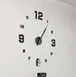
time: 1:06
